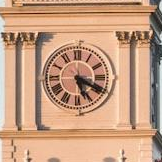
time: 5:19
